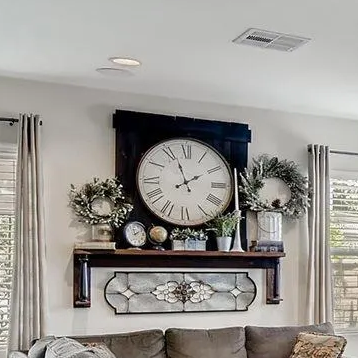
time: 1:56
